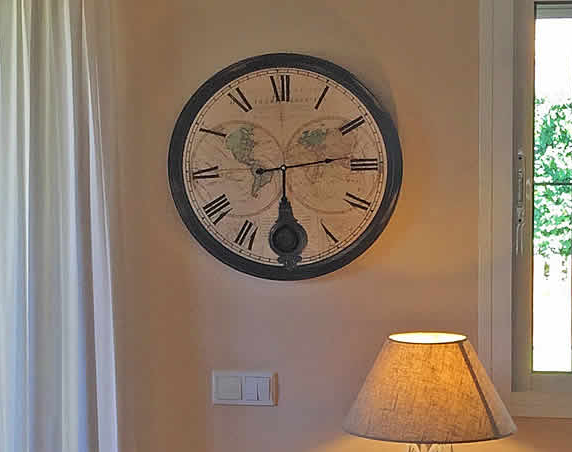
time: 6:13
